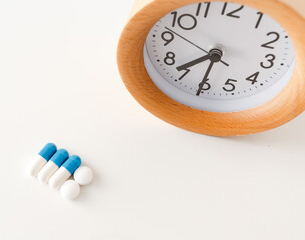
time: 7:30
